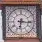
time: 6:16
